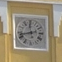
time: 11:42
